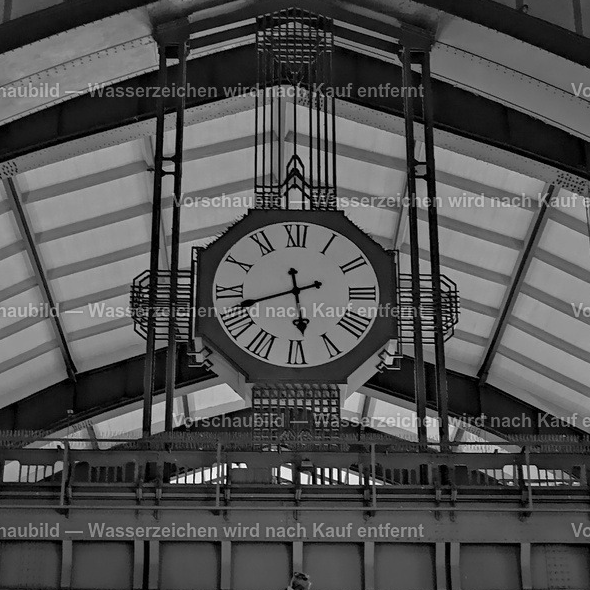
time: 5:42
